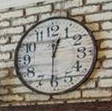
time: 12:30
